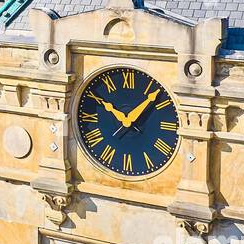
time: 10:07
